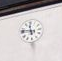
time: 11:46
